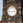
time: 2:45
